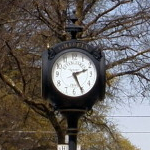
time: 2:25
